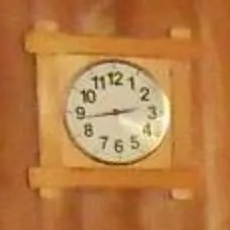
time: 2:43
